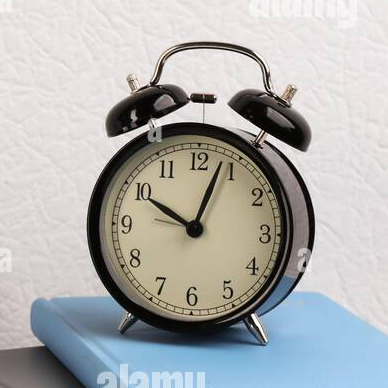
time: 10:03
